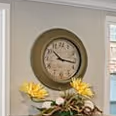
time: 10:16
